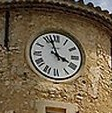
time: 3:57
